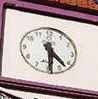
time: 4:29
